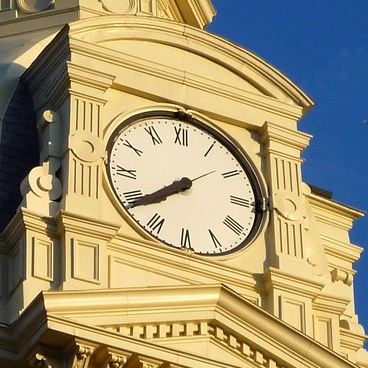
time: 7:39
